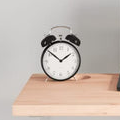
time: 1:51
